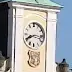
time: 8:16
